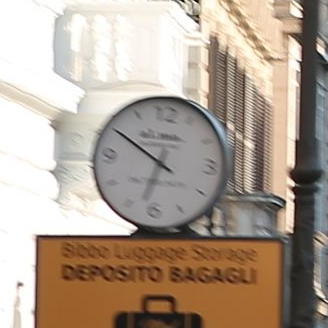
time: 6:50
